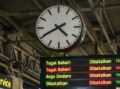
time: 4:40
